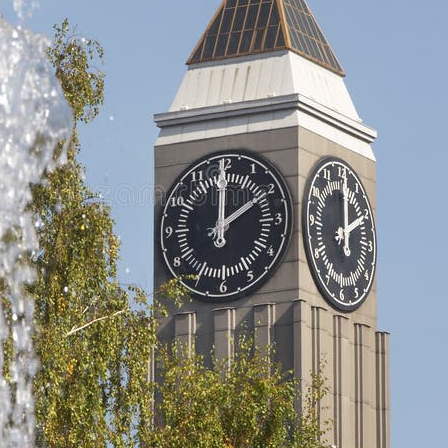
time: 2:00
